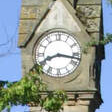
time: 8:17
